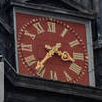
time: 3:36
